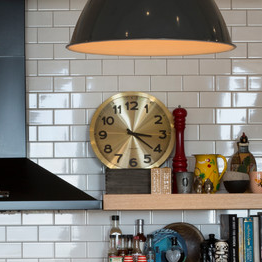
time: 3:21
